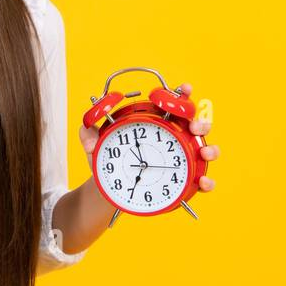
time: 6:58
